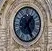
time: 1:24
